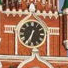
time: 6:34
